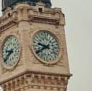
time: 9:39
